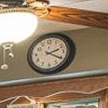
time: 2:20
